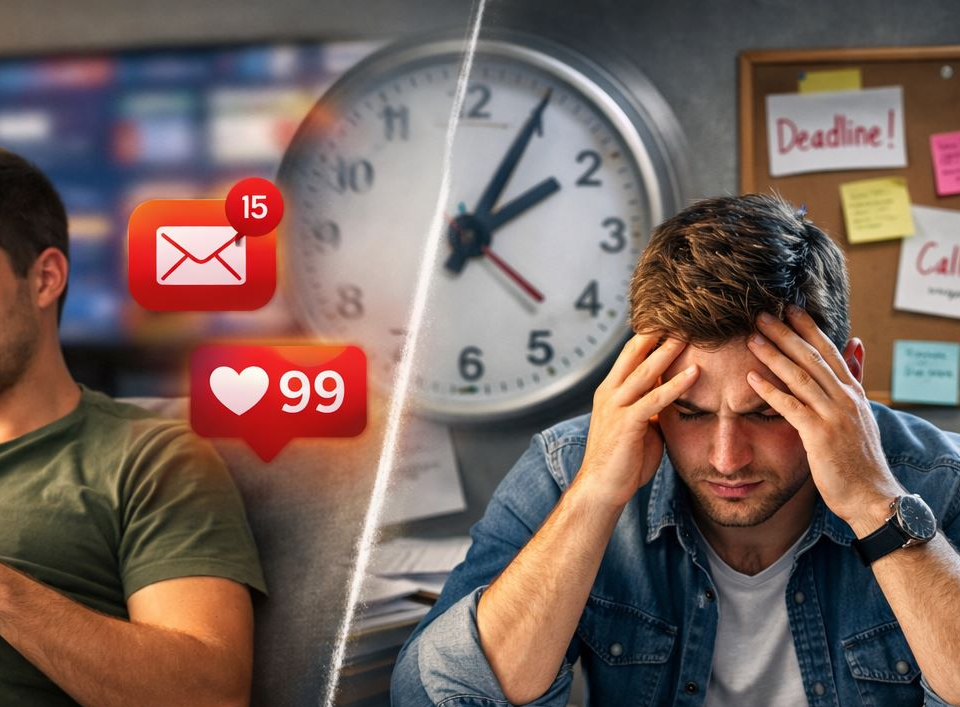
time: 2:04
